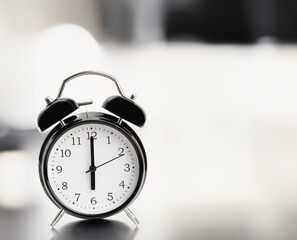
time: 6:00
